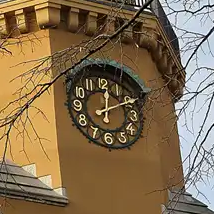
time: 12:10
